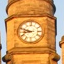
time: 8:48
